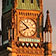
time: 7:51
